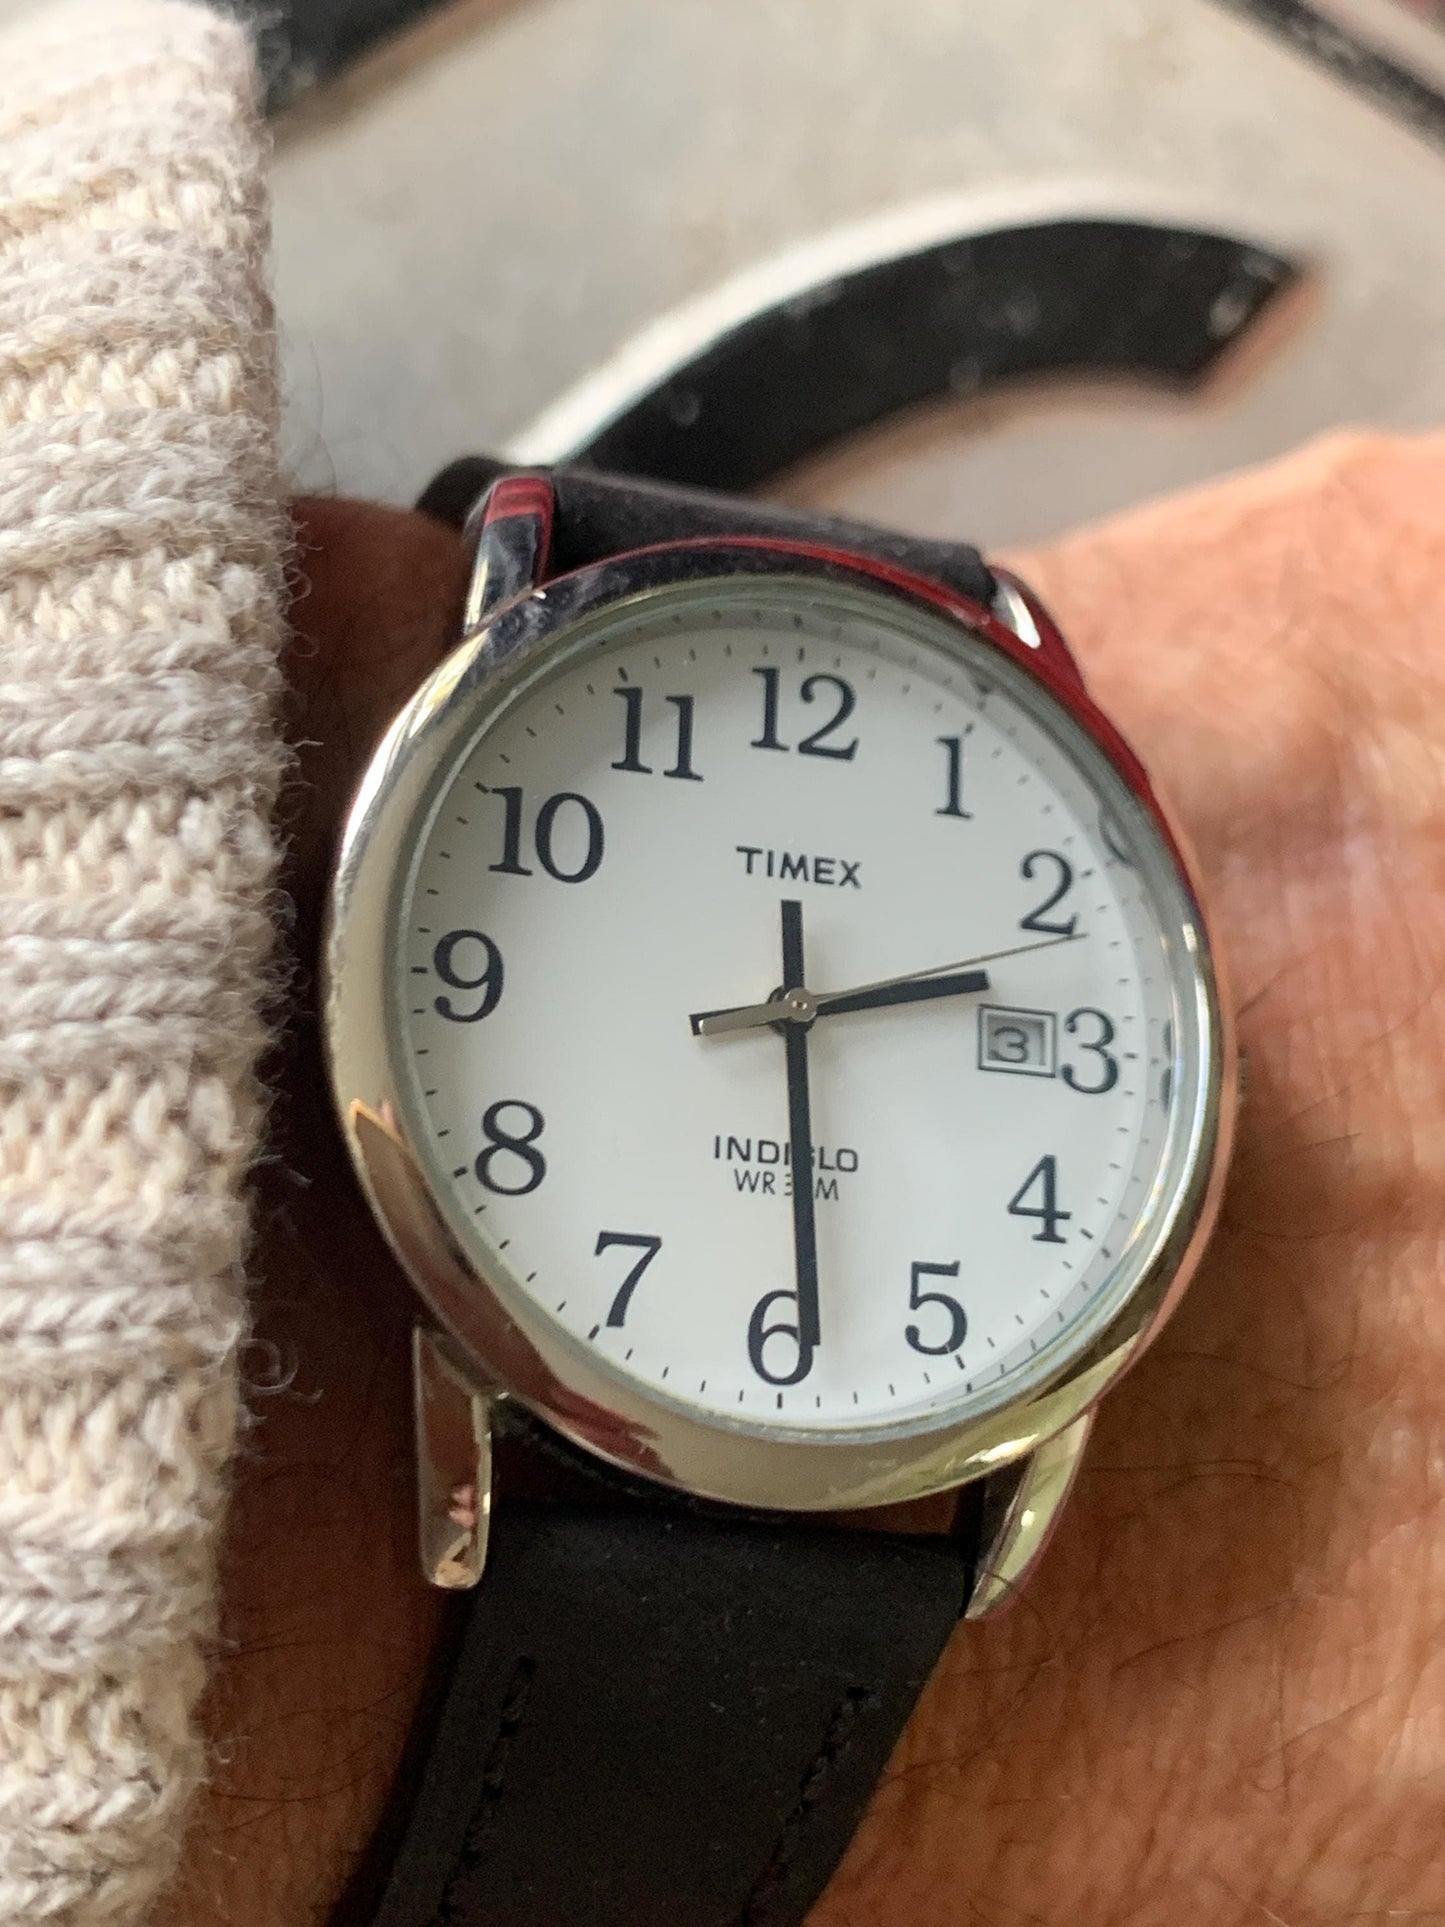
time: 2:29
